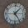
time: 1:24
